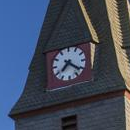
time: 7:21
